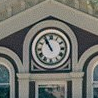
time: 10:55
